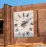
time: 2:09
